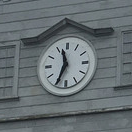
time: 11:34
